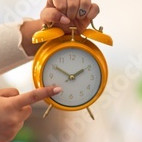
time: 1:50
